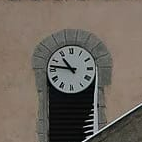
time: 10:46
